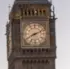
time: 8:11
